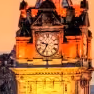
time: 9:34
